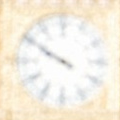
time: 9:50
